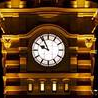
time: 9:55
